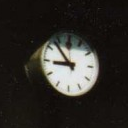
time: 8:53
